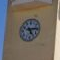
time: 5:14
